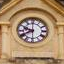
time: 9:40
